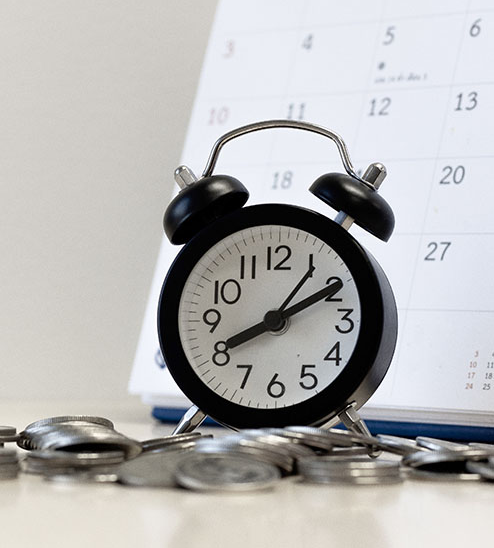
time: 8:10
